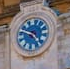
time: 4:47
